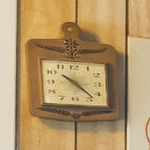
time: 10:22
